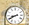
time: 8:40
